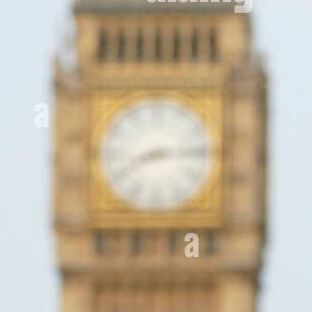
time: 8:14
